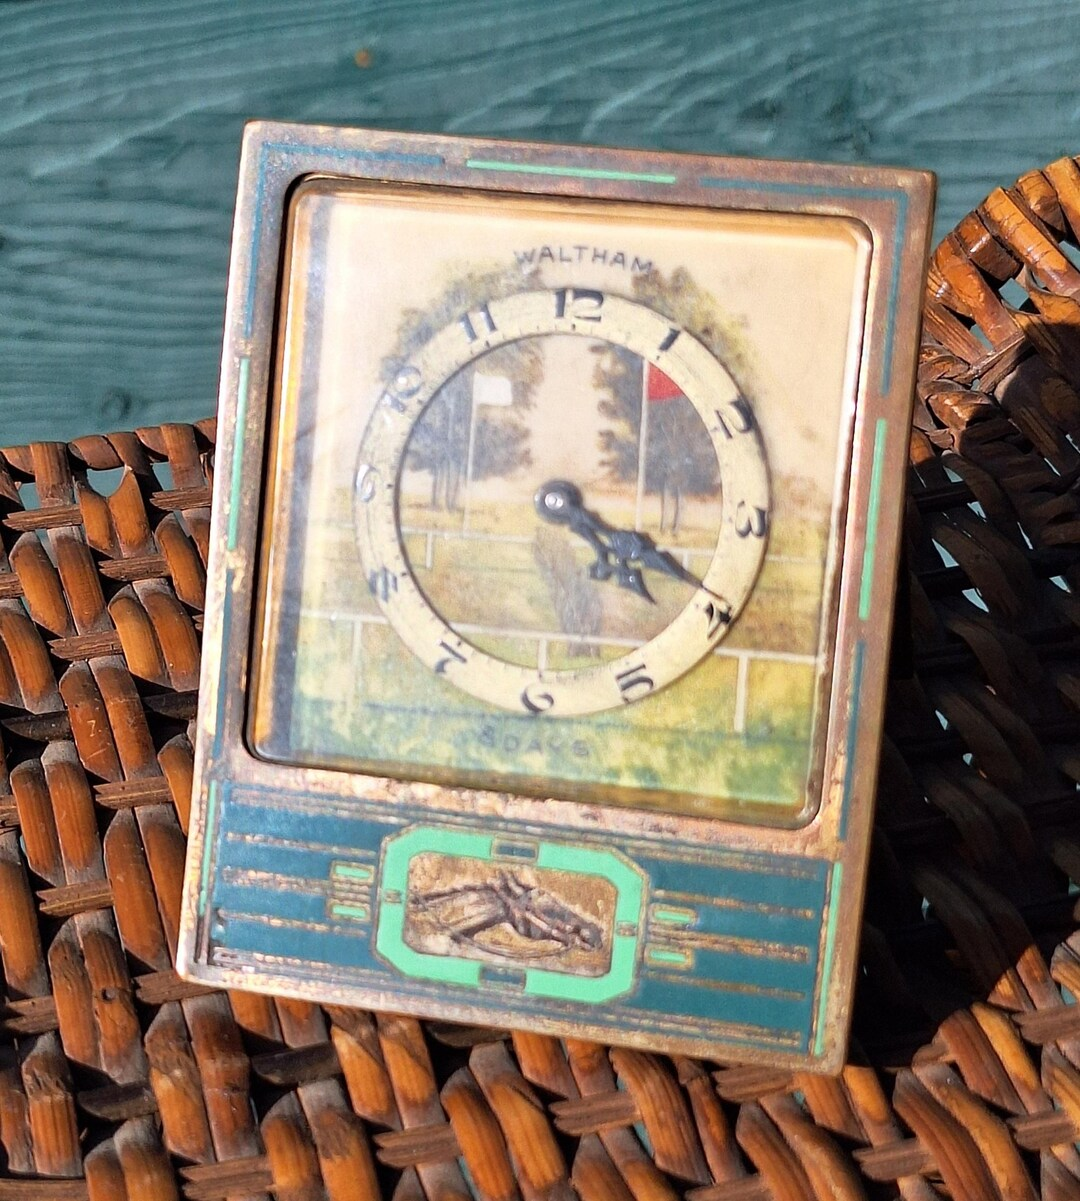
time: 4:18
